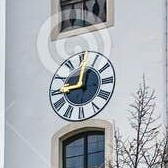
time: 9:01
